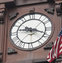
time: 9:18
